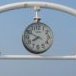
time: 7:49
